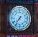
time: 7:36
